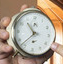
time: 10:37
